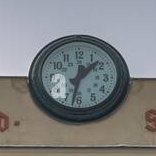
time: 1:32
